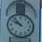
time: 9:52
